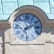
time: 7:11
